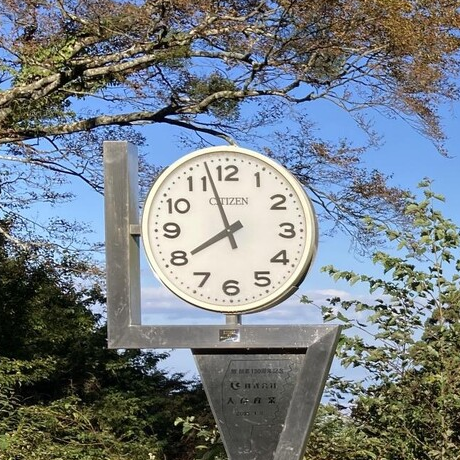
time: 7:57
